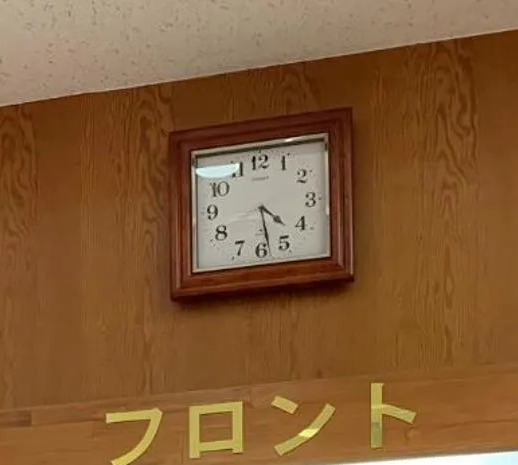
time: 4:28
